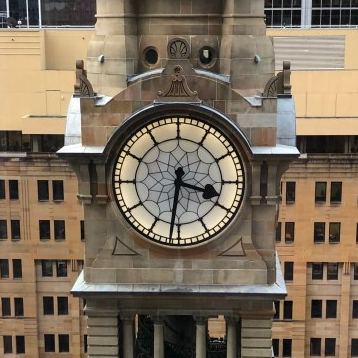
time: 3:31
